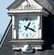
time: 1:18
